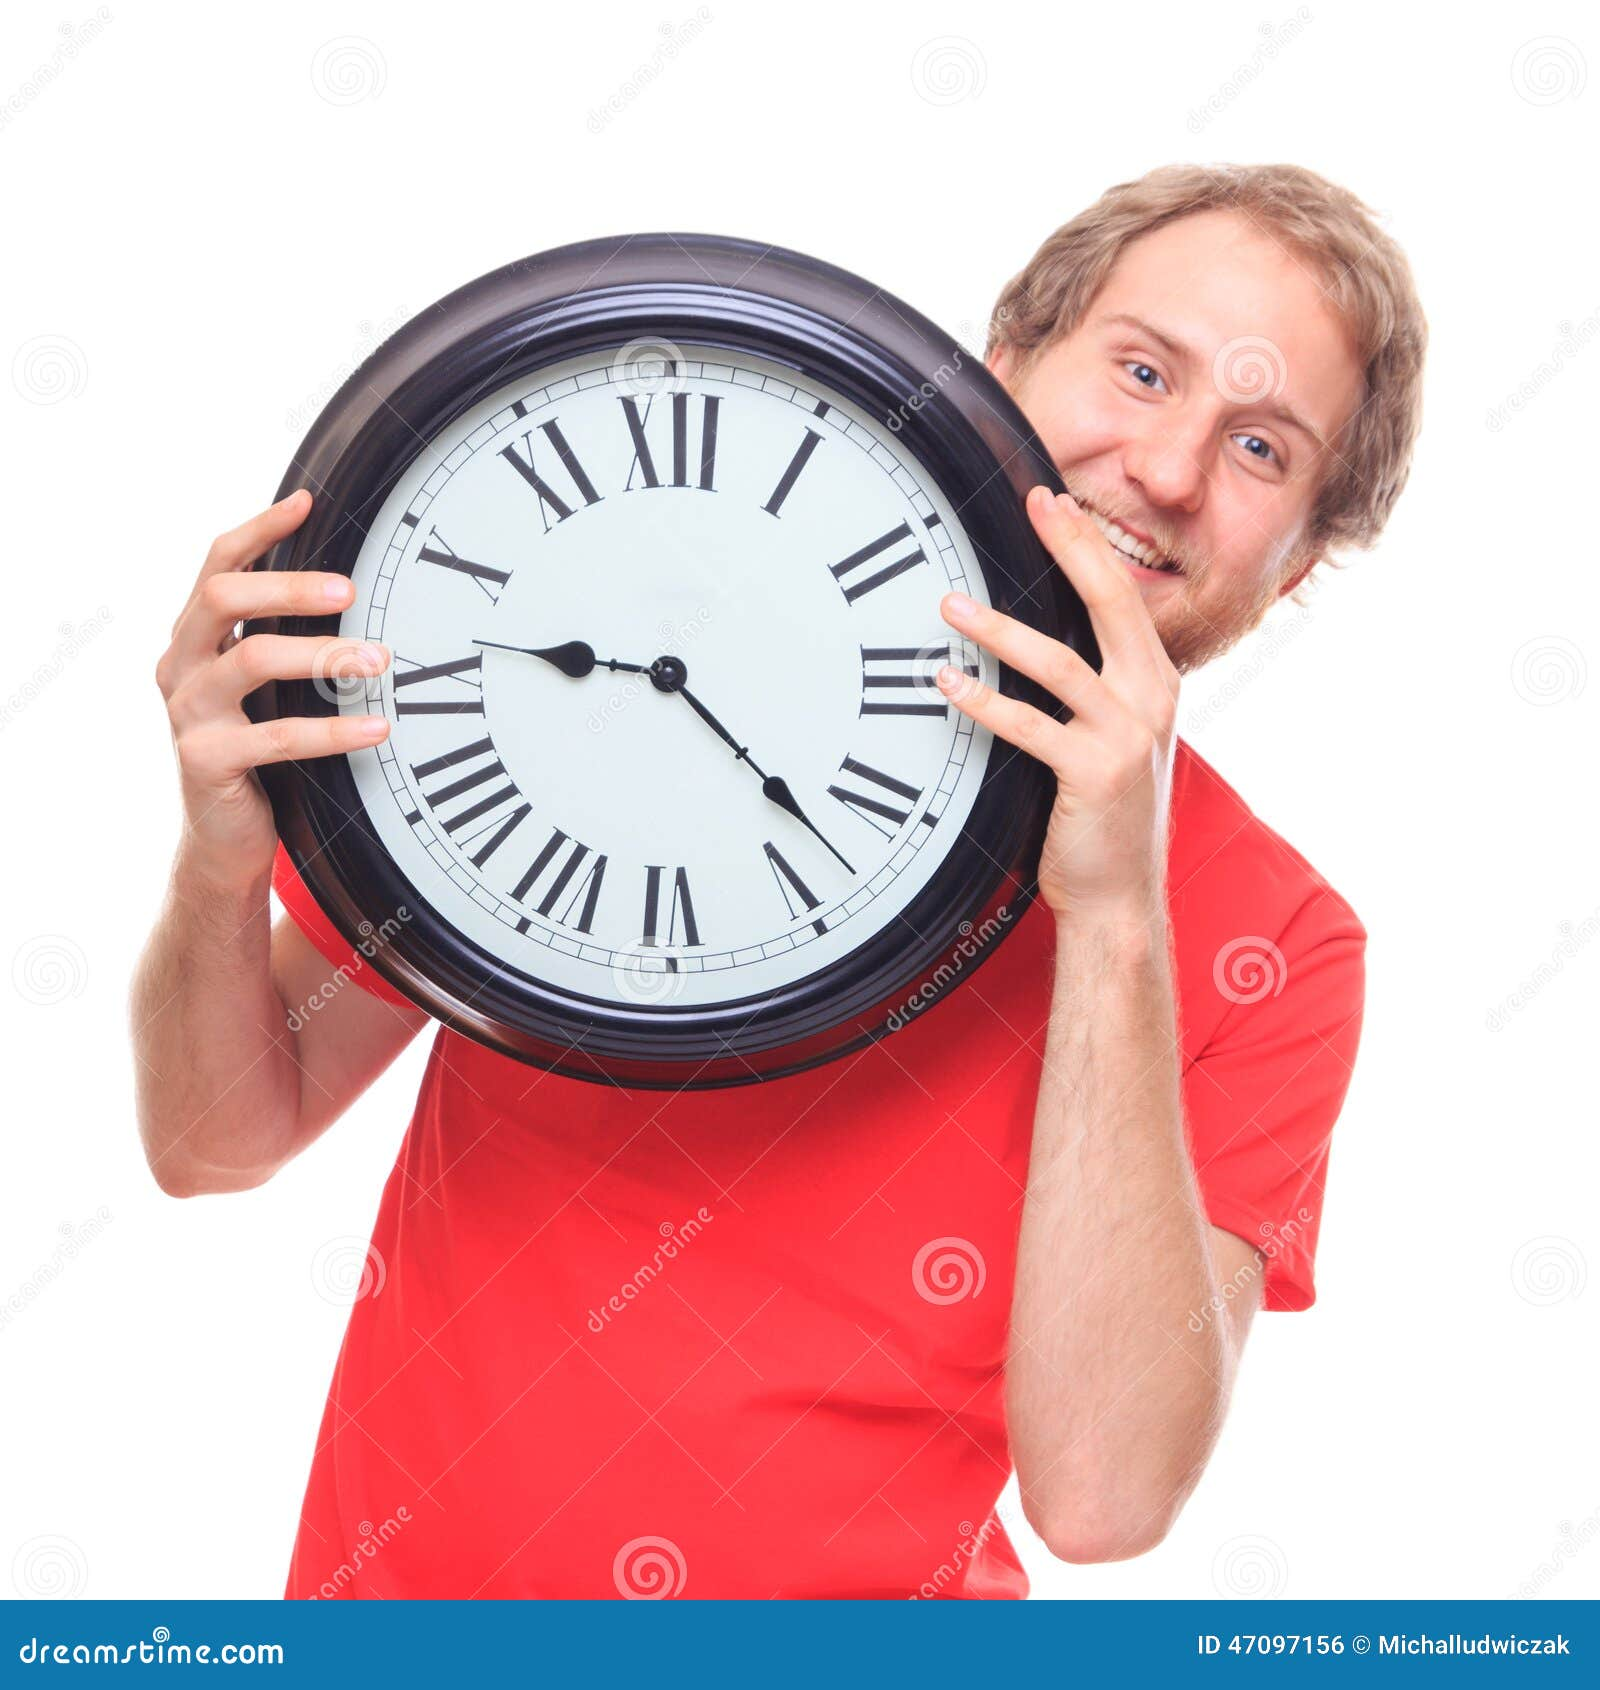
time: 9:22
